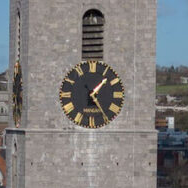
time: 1:24
